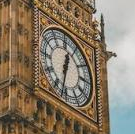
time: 12:32
